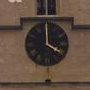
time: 4:00
